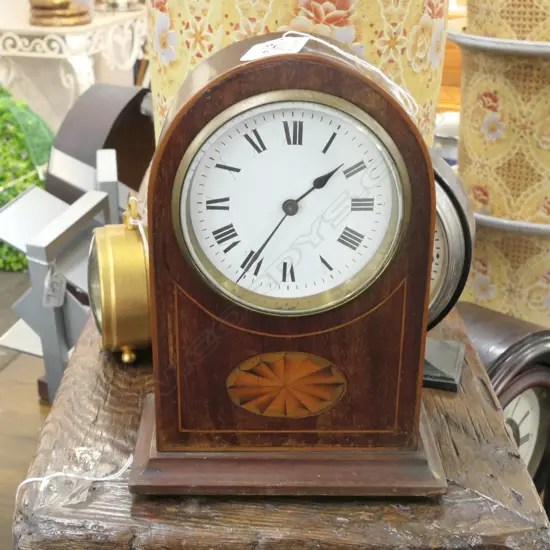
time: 1:35
